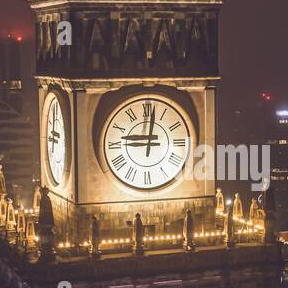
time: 9:01
